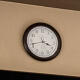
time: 3:42
